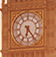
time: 6:23
